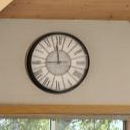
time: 11:44
